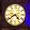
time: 4:39
